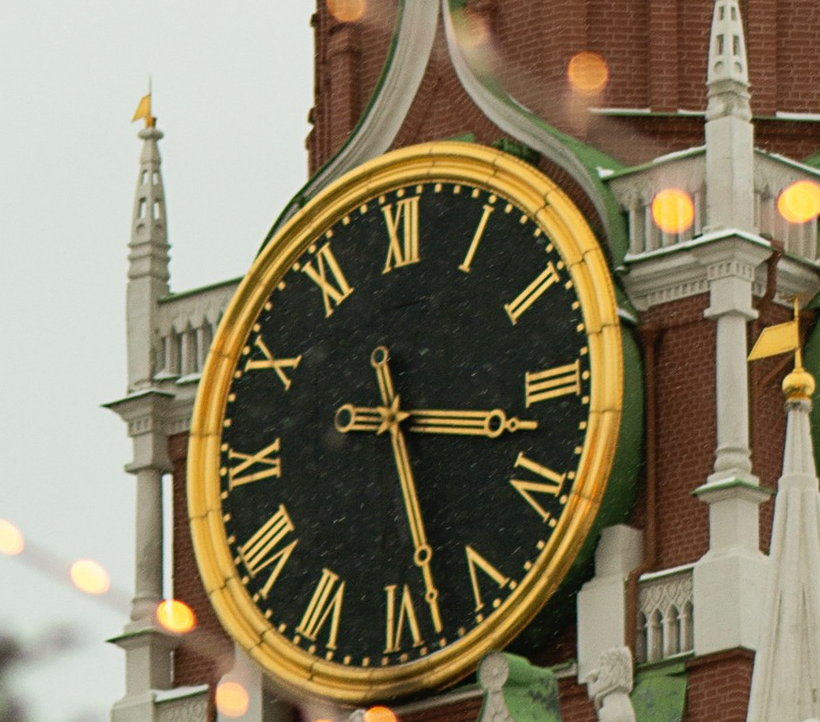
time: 3:28
